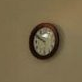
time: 9:50
